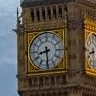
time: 8:29
